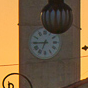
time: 6:44
